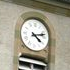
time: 4:12
